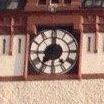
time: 7:24
